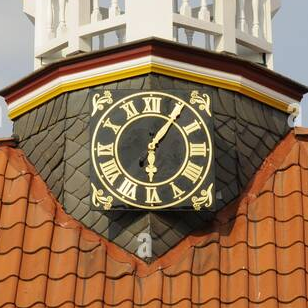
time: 6:05
